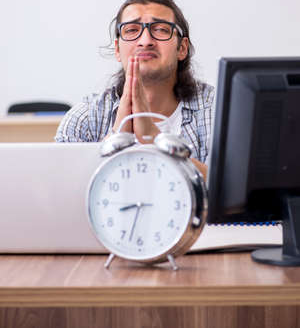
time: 8:32
